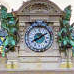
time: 8:09
